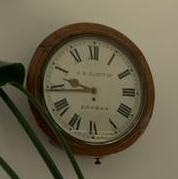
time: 9:44
